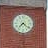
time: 7:21
